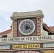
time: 6:18
